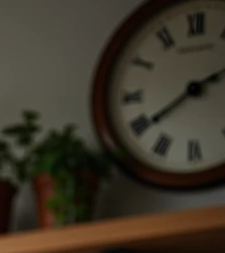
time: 2:39
